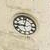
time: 9:01
